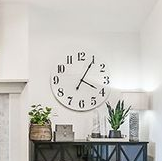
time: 4:05
